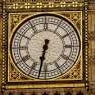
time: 6:32
